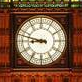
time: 8:47
